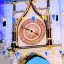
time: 3:48
